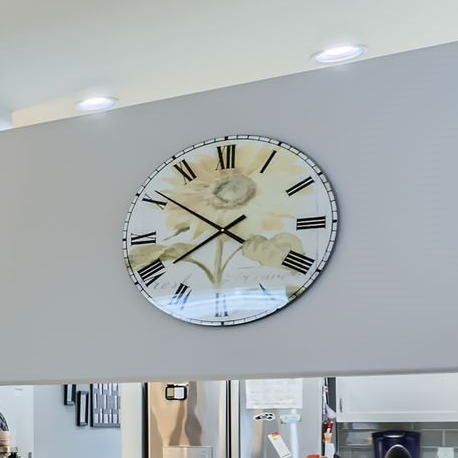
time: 7:50
